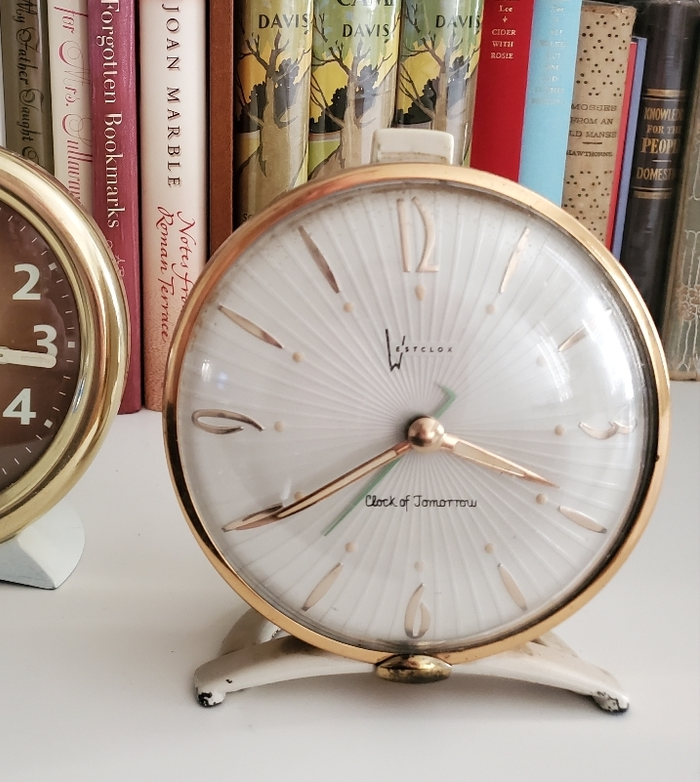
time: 7:18
